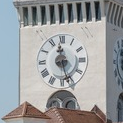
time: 11:26
